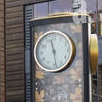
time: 11:28
